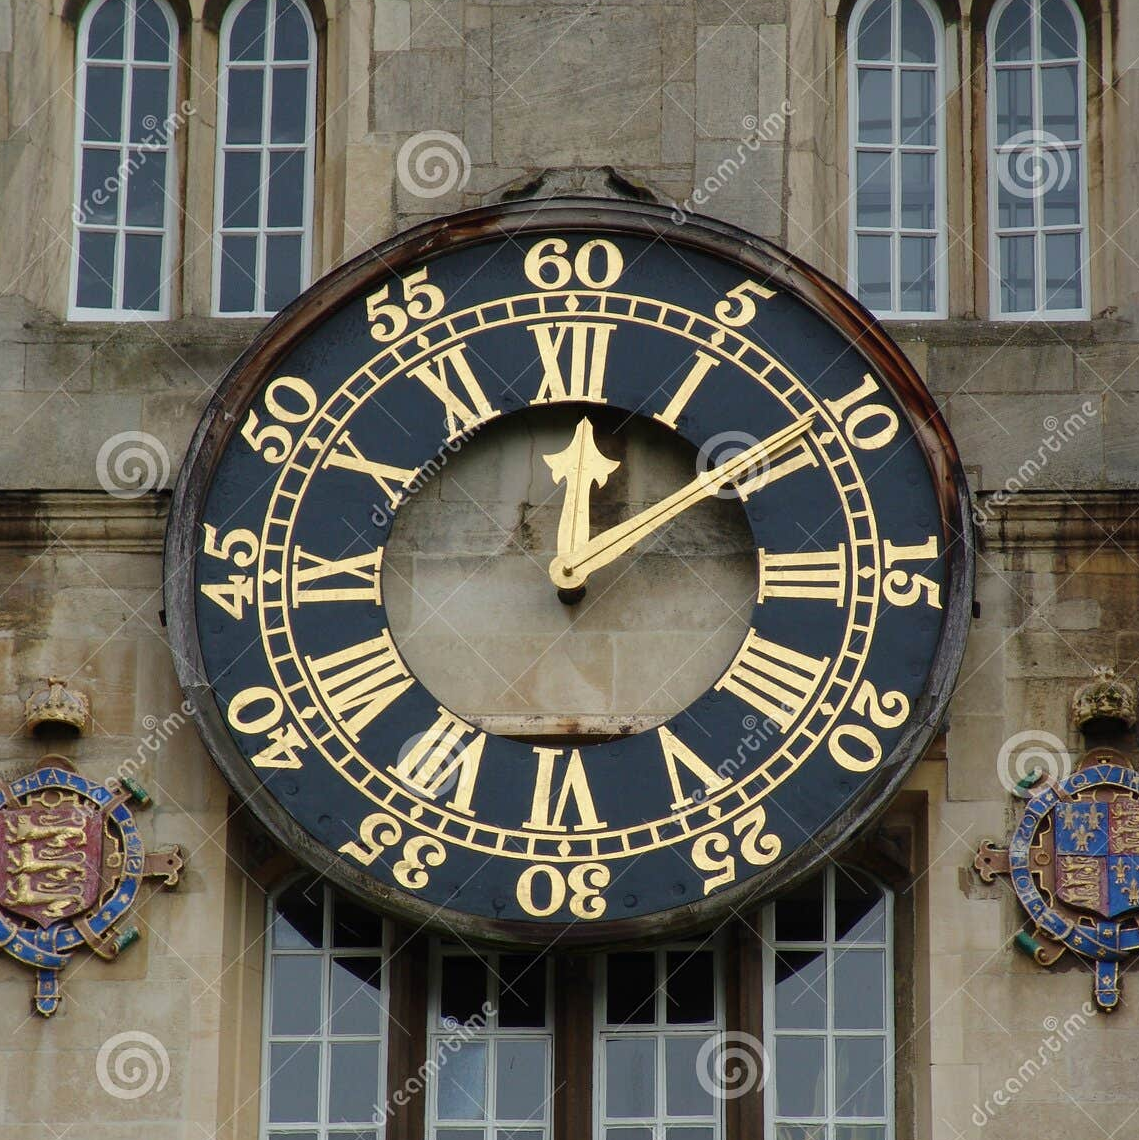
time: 12:09
